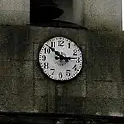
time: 2:52
